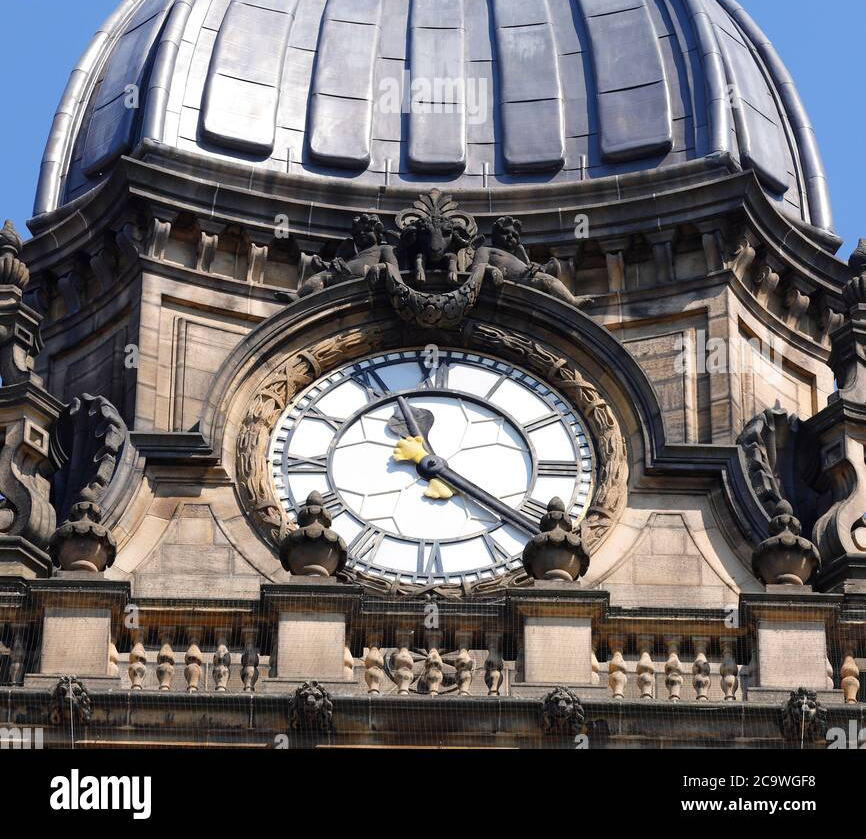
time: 11:21
